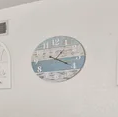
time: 1:18
